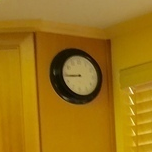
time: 8:43
